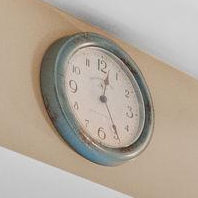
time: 12:24
